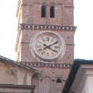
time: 4:09
